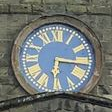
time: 6:15
